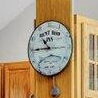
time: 10:45
